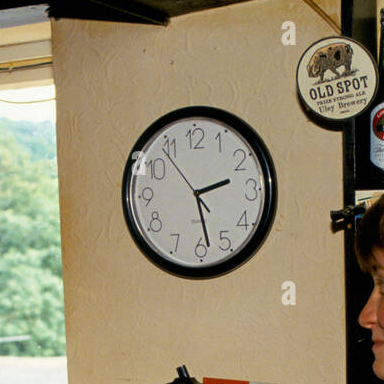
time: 2:28
